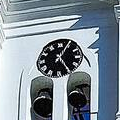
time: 5:04
